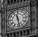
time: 11:28
